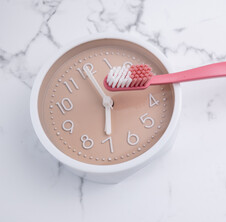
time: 5:55
